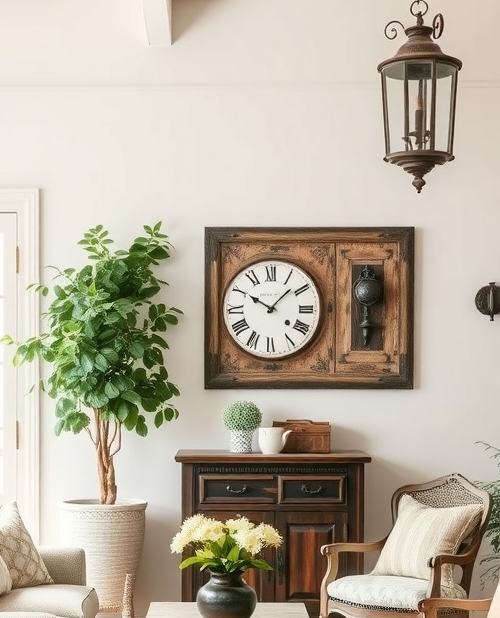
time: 10:07
